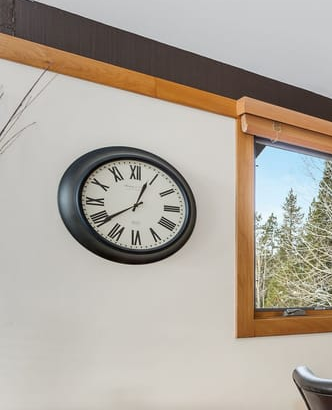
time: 12:39
